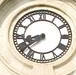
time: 8:38
